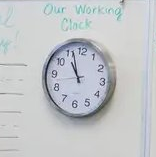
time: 10:56
